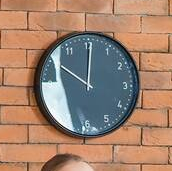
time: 10:00
